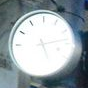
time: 5:13
